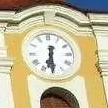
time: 6:29
